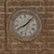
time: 8:07
